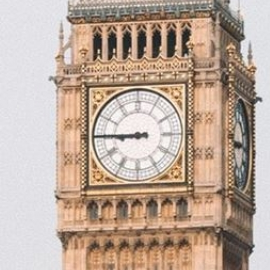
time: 8:45
